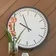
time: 9:56
